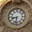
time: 8:32
